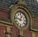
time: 12:46
